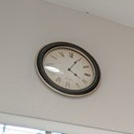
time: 4:04
